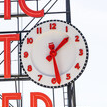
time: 1:28
